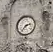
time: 2:36
